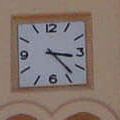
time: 3:23
